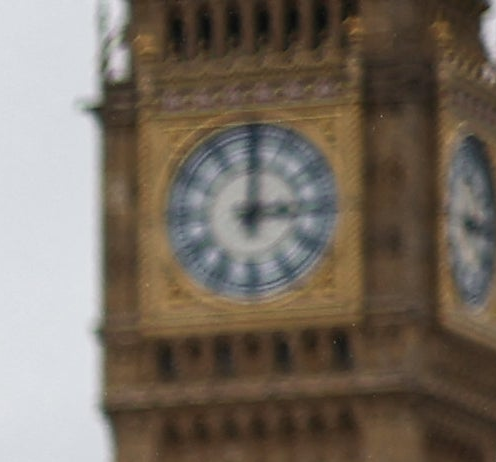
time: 3:00
